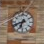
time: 6:41
